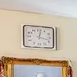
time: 12:17
